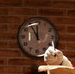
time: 11:55
